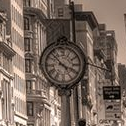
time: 3:52
